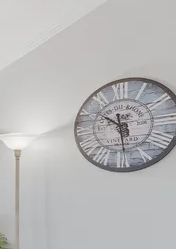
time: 10:29
